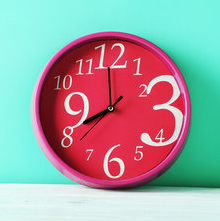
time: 7:59
